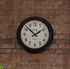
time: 1:52
